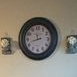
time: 11:42
